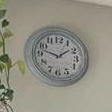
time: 1:47
